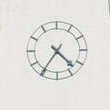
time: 4:35
